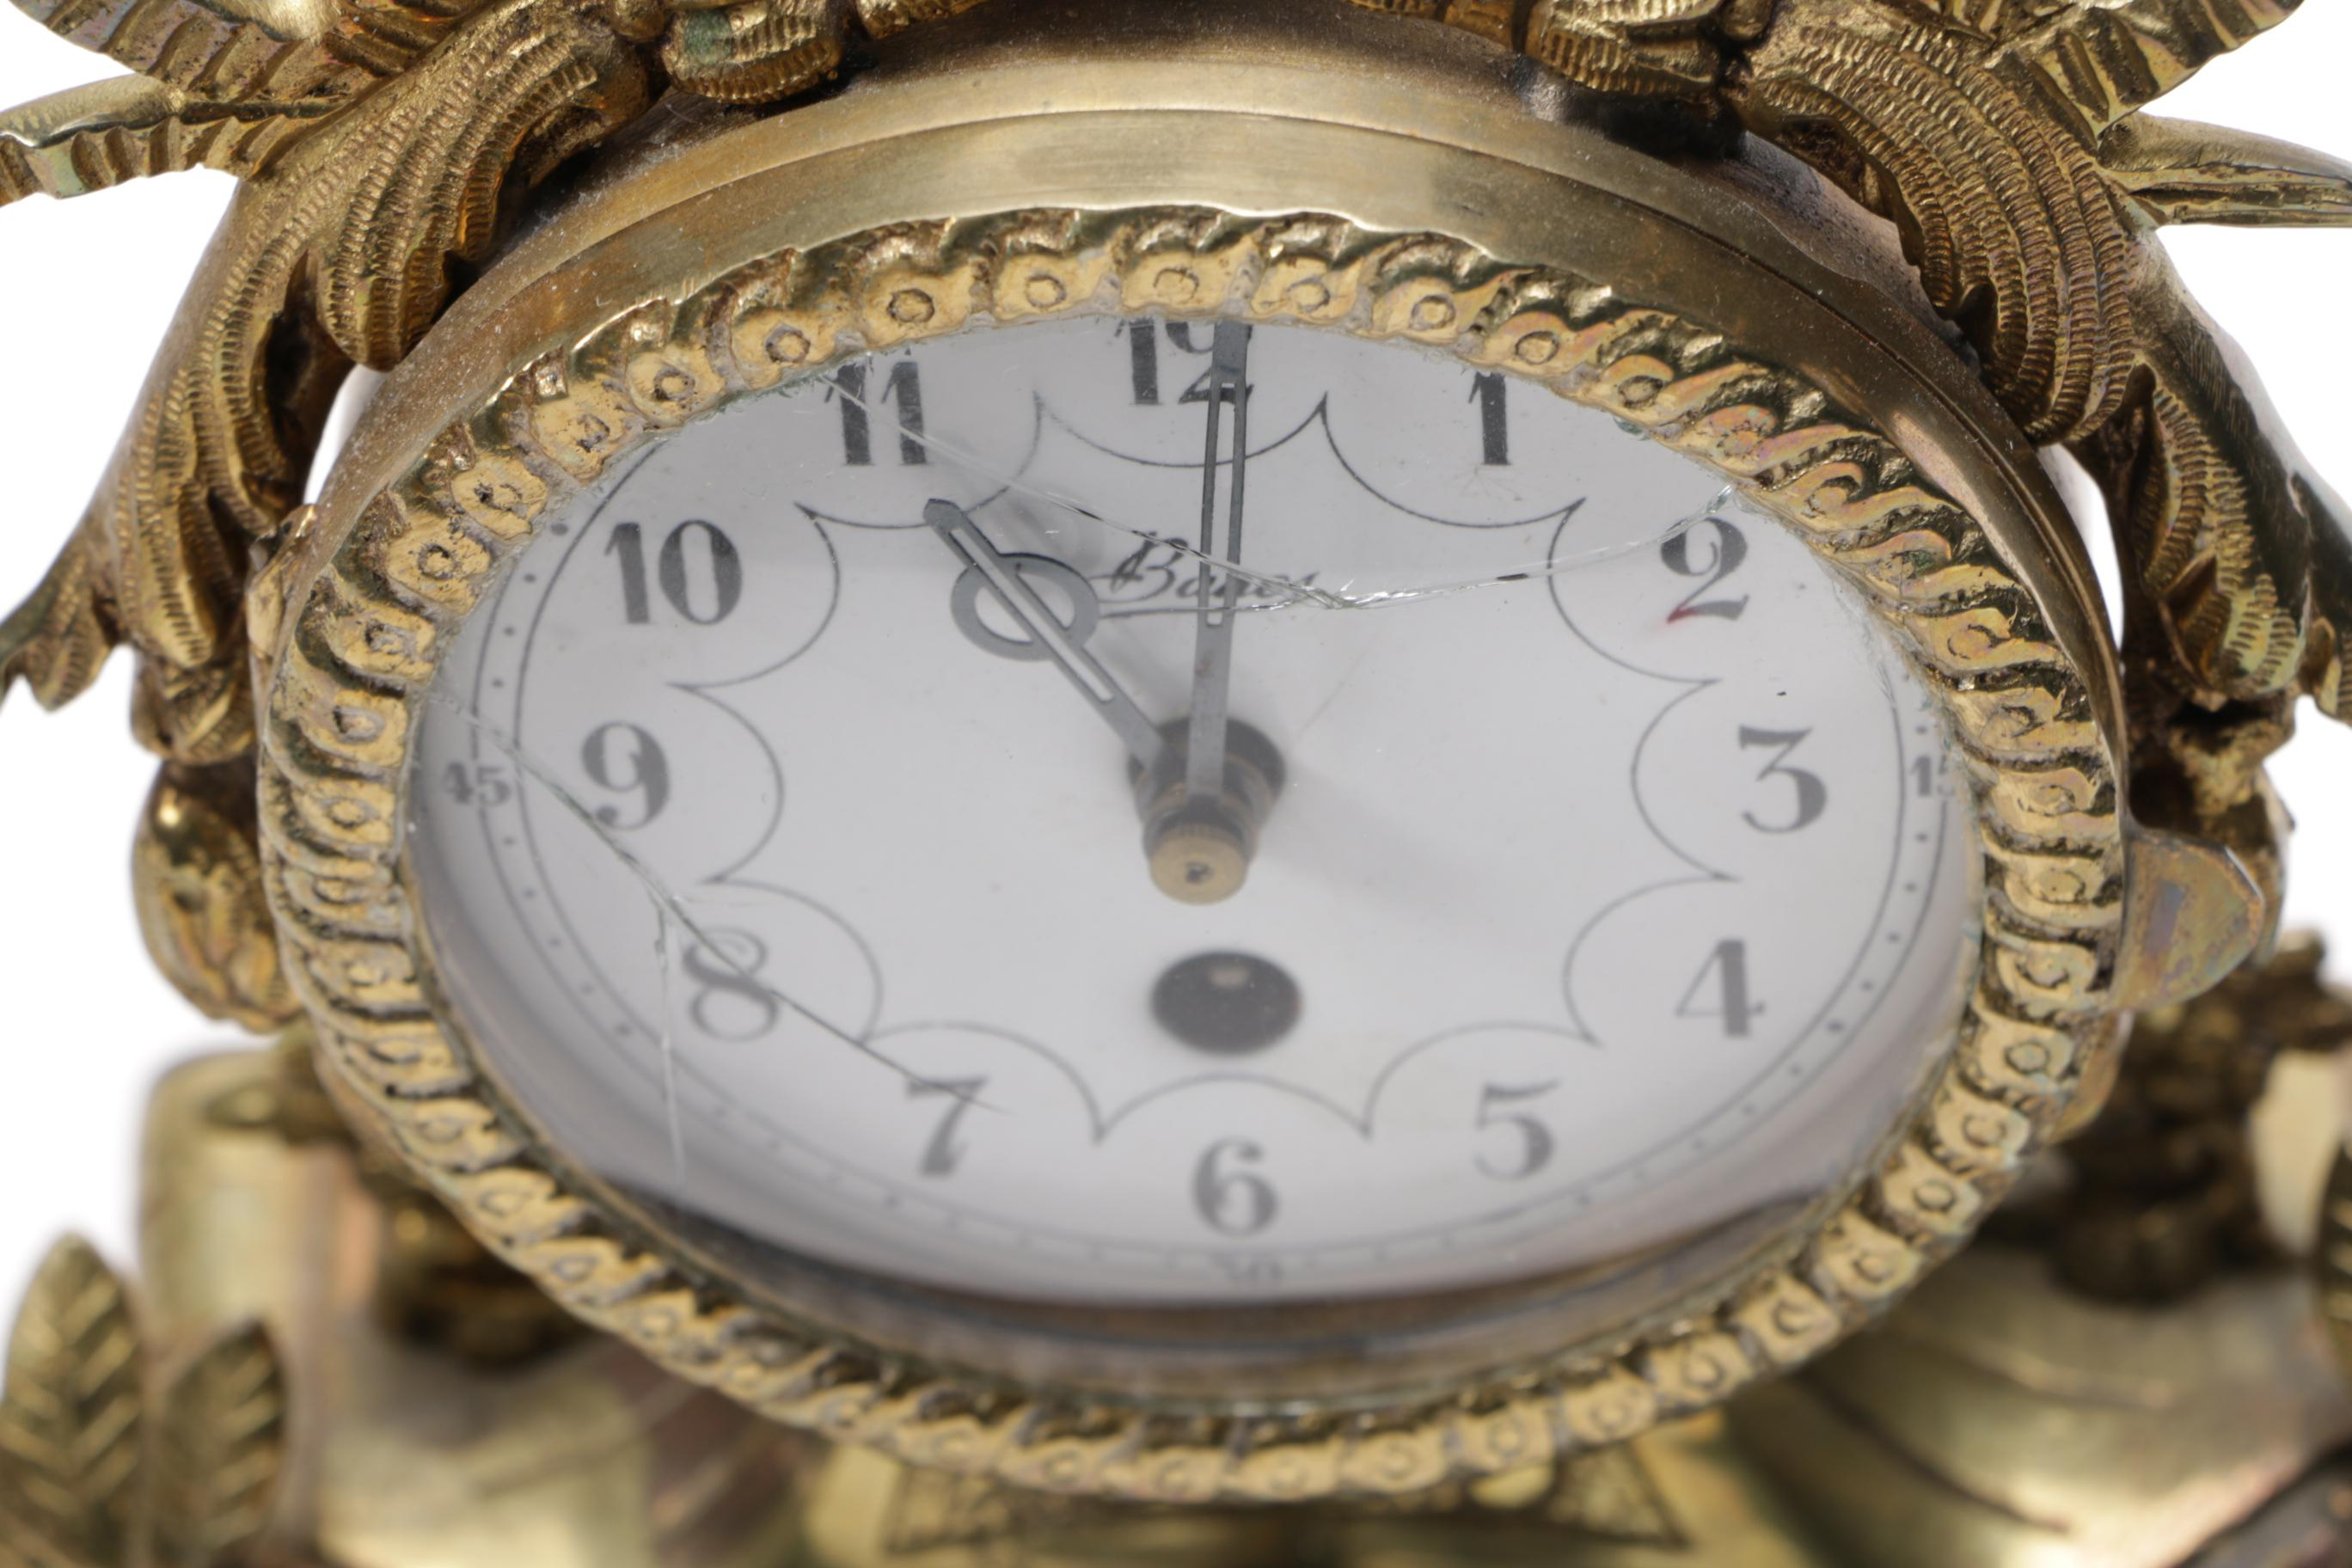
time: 11:01
